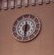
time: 6:30
